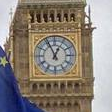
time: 12:56
